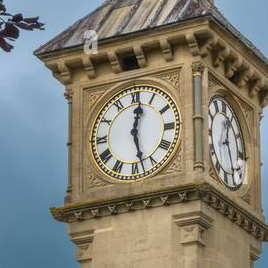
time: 12:27
